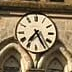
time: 7:25
